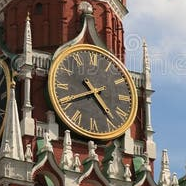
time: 4:40
